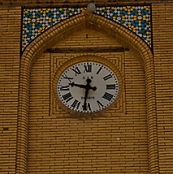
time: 9:31
